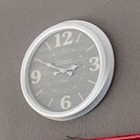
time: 2:50
